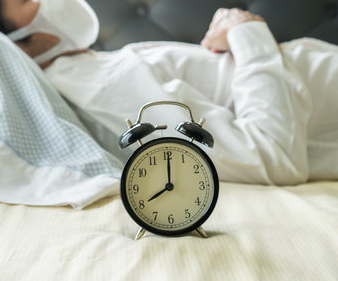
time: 8:00
